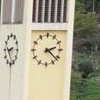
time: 2:21
